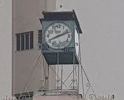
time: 8:11
